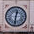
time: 12:30
